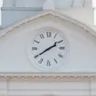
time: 1:39
